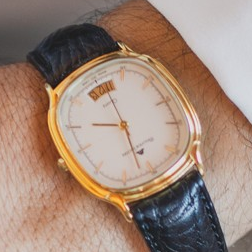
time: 9:27
